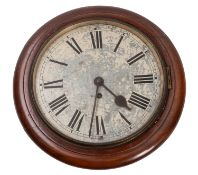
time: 4:31
